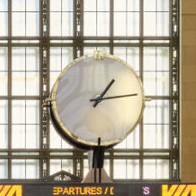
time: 1:13
